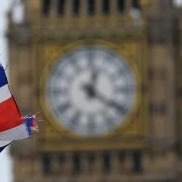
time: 12:21
